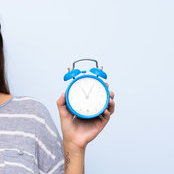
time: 11:05
